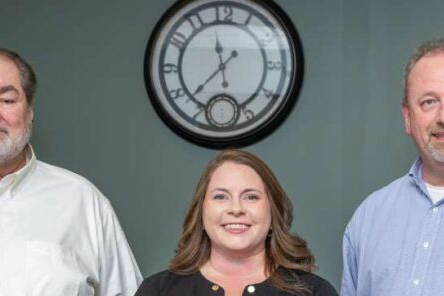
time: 11:37
